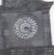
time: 3:22
